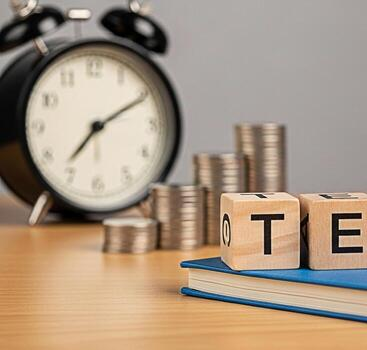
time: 7:10
